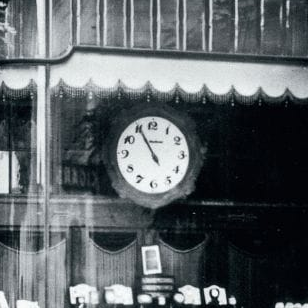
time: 10:55
